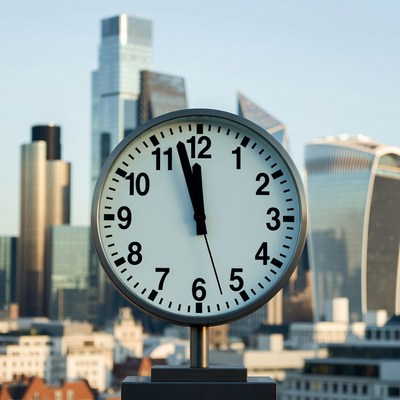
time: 11:57
